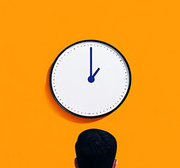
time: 1:00
